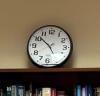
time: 4:51
